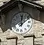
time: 12:07
